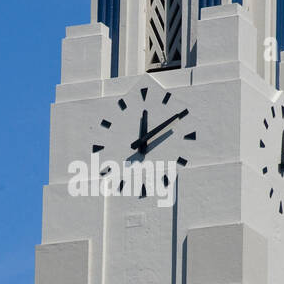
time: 12:09
